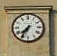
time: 7:35
